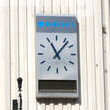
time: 11:07
